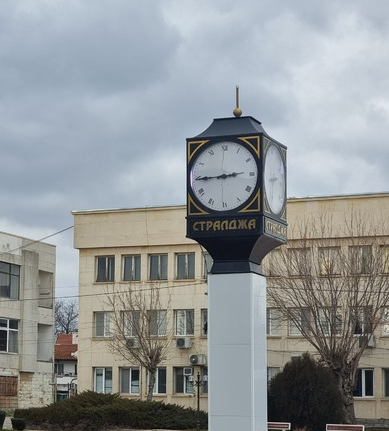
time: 2:44
